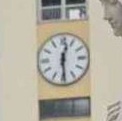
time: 12:29
